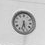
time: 5:32
